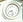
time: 8:27
